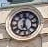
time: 12:26
